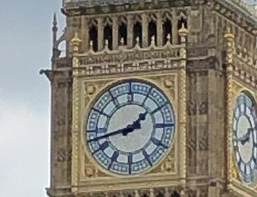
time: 1:42
